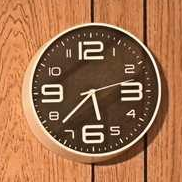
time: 5:37
